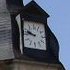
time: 9:45
